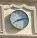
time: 8:12
